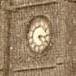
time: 3:23
